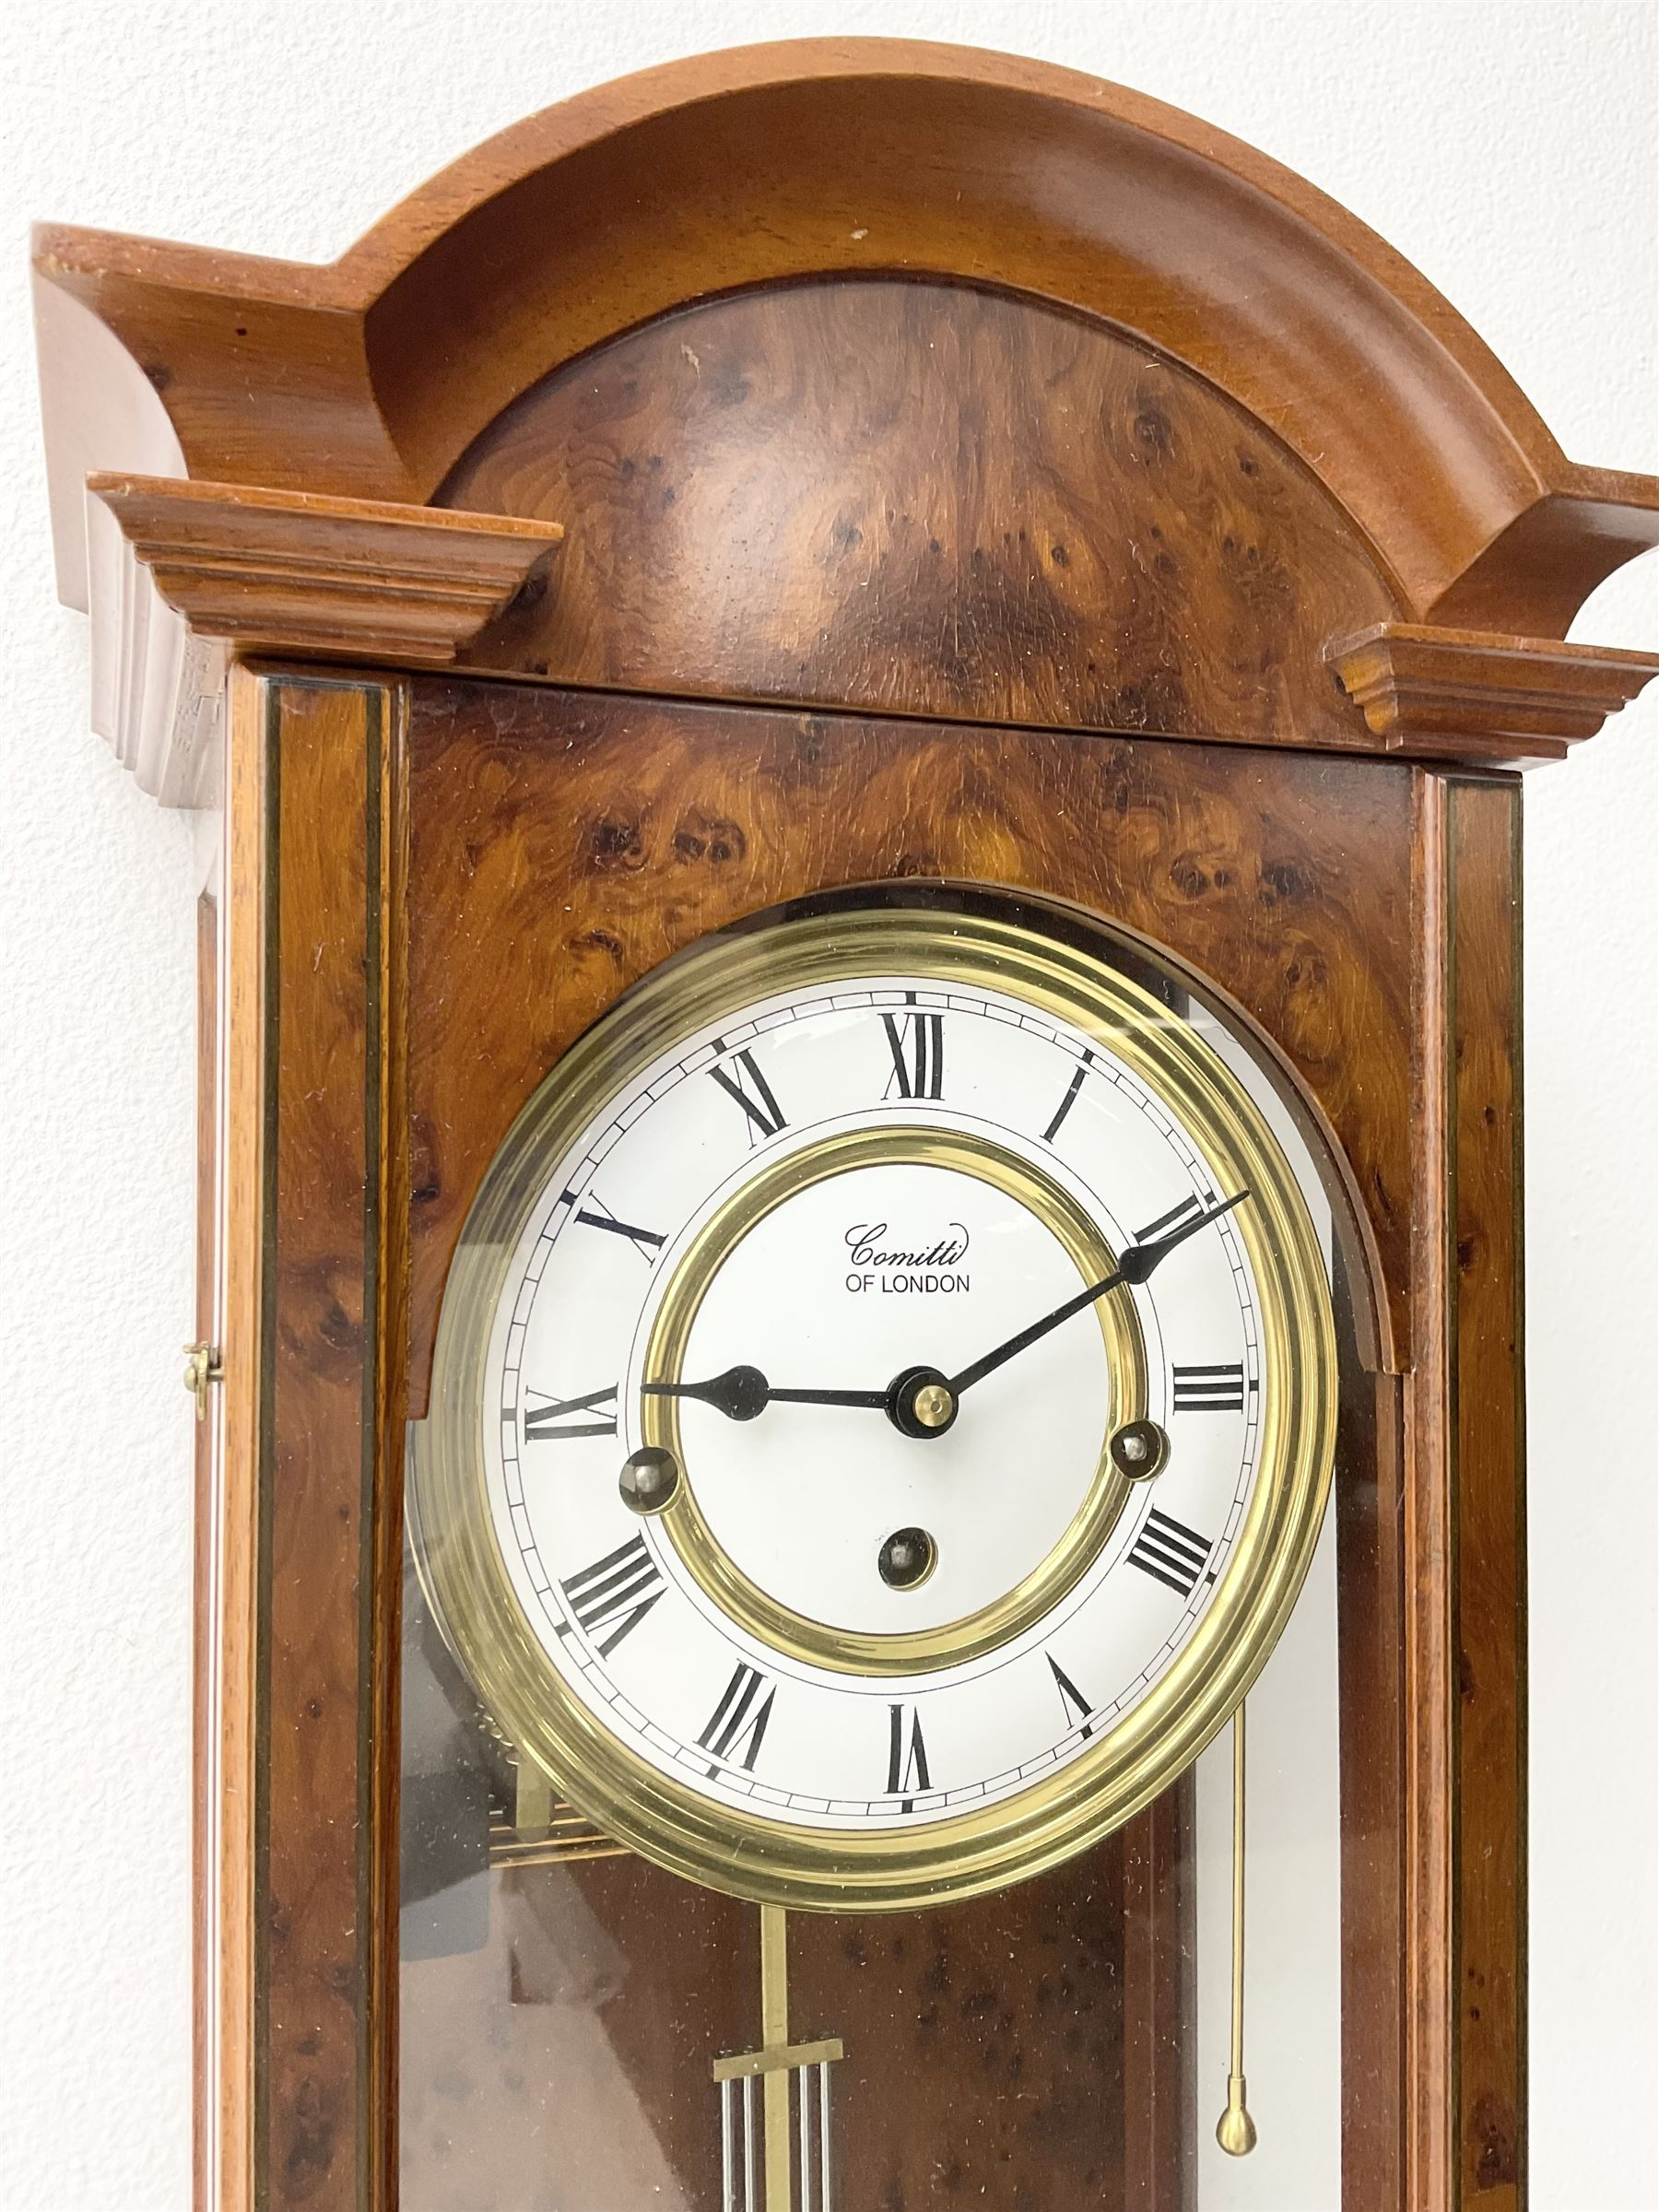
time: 9:10
